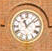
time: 11:07
